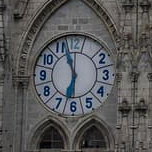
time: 11:32
